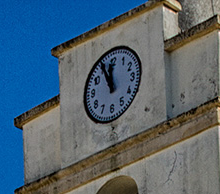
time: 11:55
